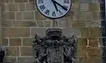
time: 5:20
